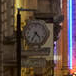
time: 4:35
